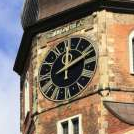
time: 2:00
